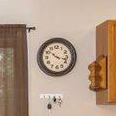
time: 10:17
